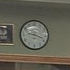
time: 9:18
